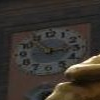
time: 2:53
